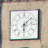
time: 6:08
